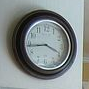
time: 3:43
